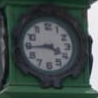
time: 3:44
